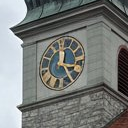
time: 12:24
